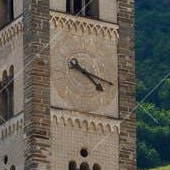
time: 4:18
